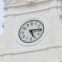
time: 5:14
